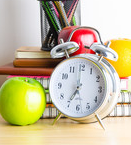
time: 7:00
